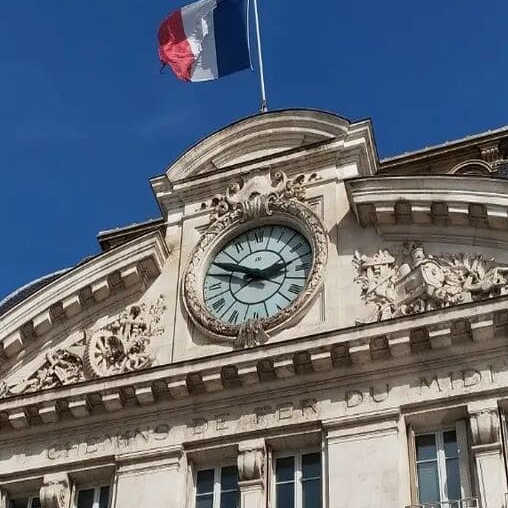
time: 2:48
